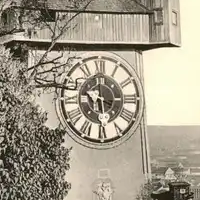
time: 5:59
